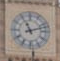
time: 11:12
